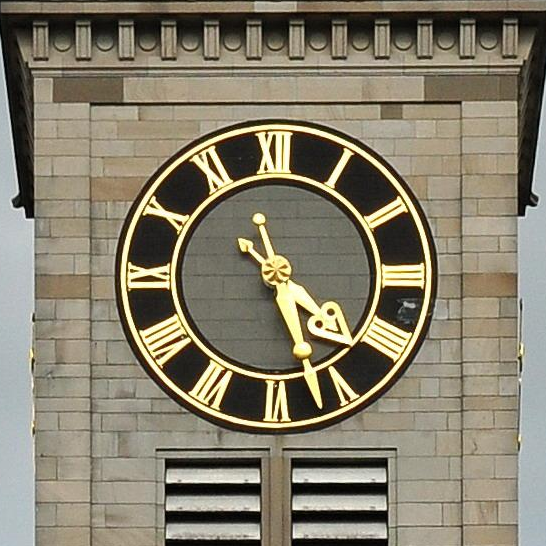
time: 4:26
